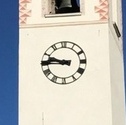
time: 9:45
